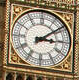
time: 3:08
